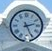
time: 2:26
